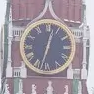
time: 12:32
